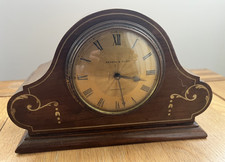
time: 3:28
